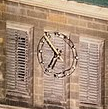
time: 6:52
